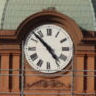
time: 4:52
